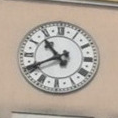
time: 10:40
